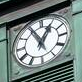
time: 12:55
